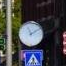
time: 11:09
